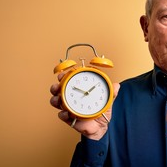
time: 1:50
